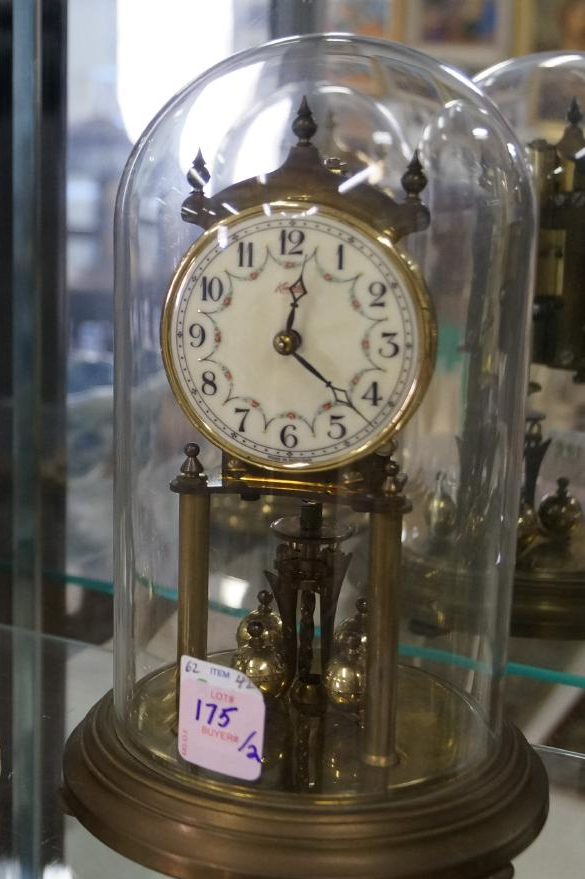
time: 12:22
